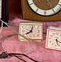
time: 8:02
